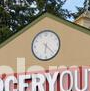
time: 6:22
